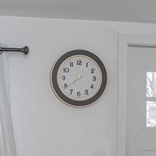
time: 12:38
